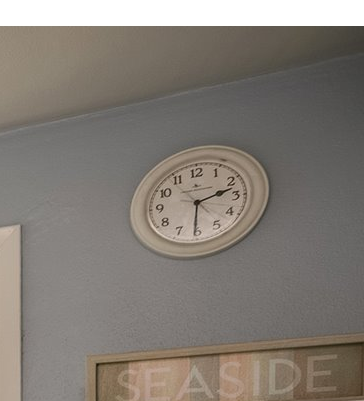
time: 2:30
